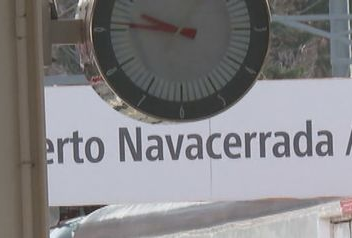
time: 9:45
